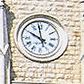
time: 9:58
